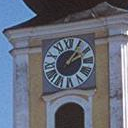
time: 2:06
